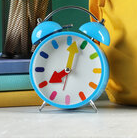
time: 8:02
